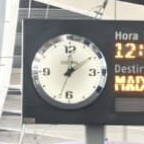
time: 12:09
